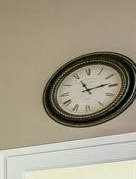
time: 11:13
